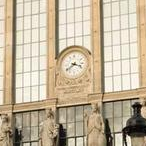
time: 3:39
